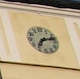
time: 7:12
